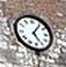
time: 5:06
